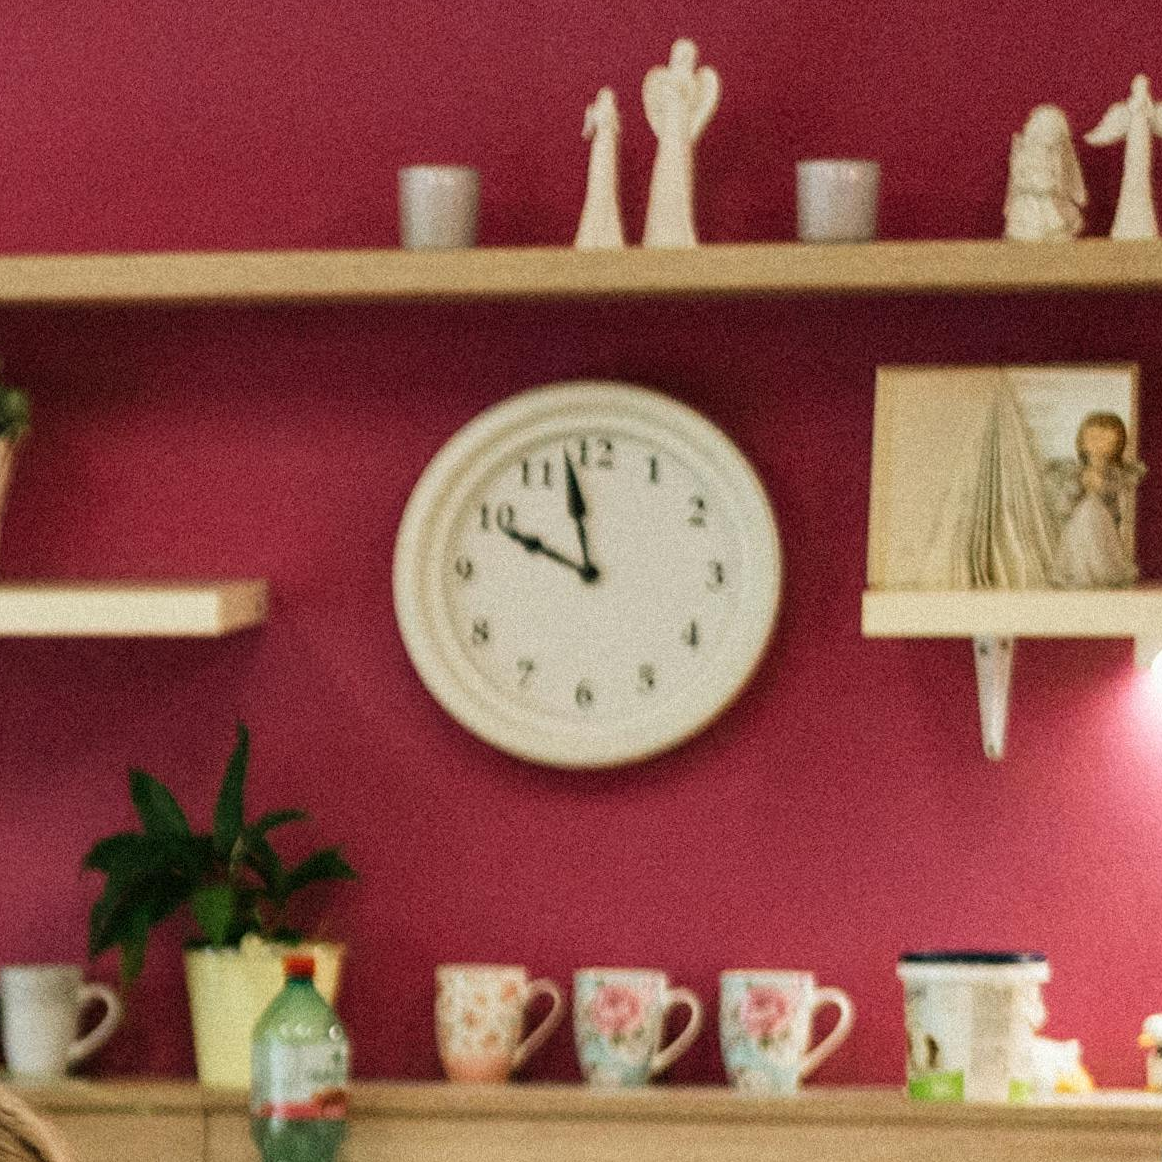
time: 9:57
